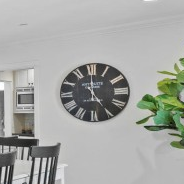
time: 4:59
